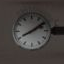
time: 8:09
